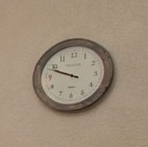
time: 9:48
